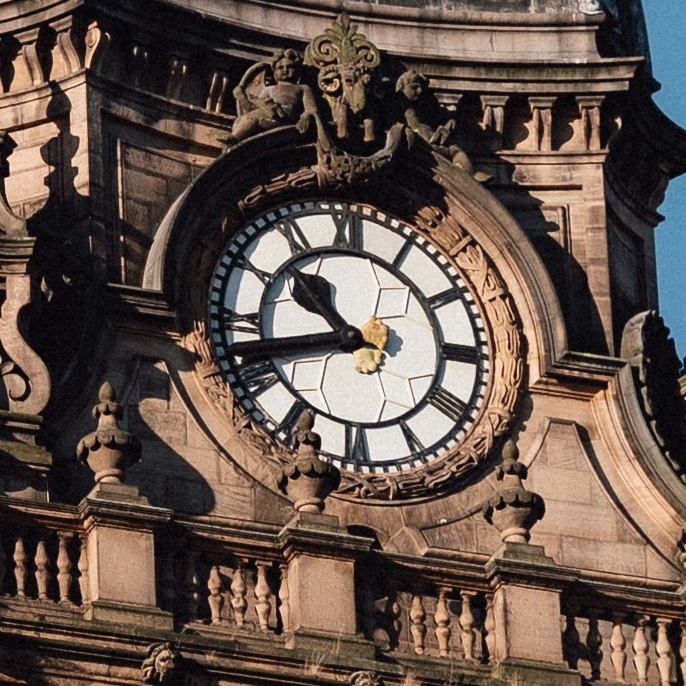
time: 10:42
